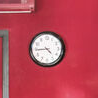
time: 4:44
